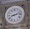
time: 8:12
